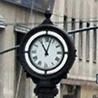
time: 11:02
